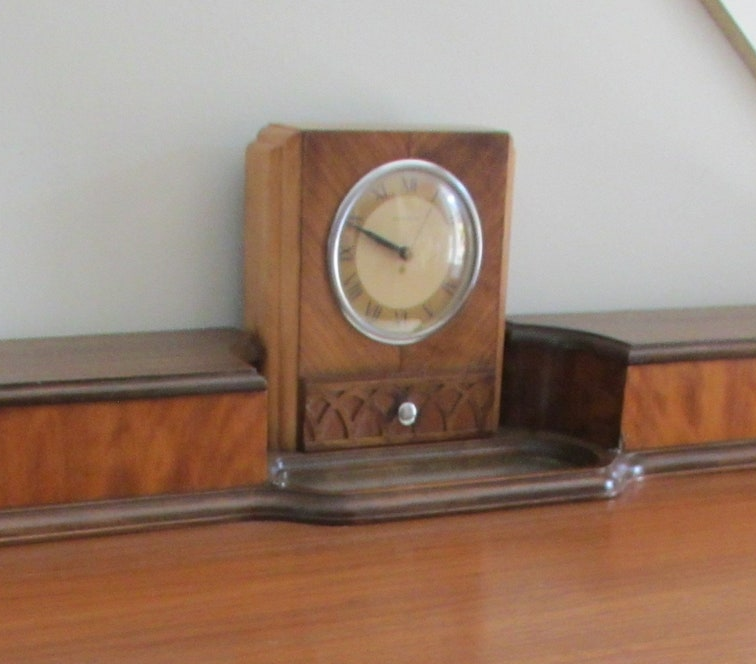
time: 9:49
